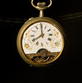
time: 7:59
